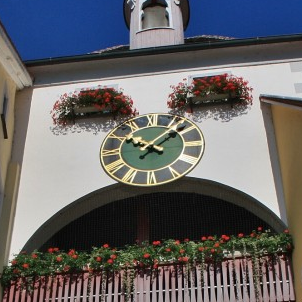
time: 10:07
